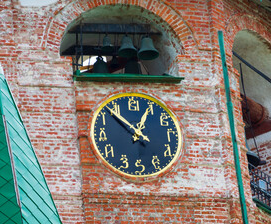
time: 12:52
